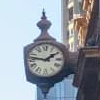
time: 1:46
